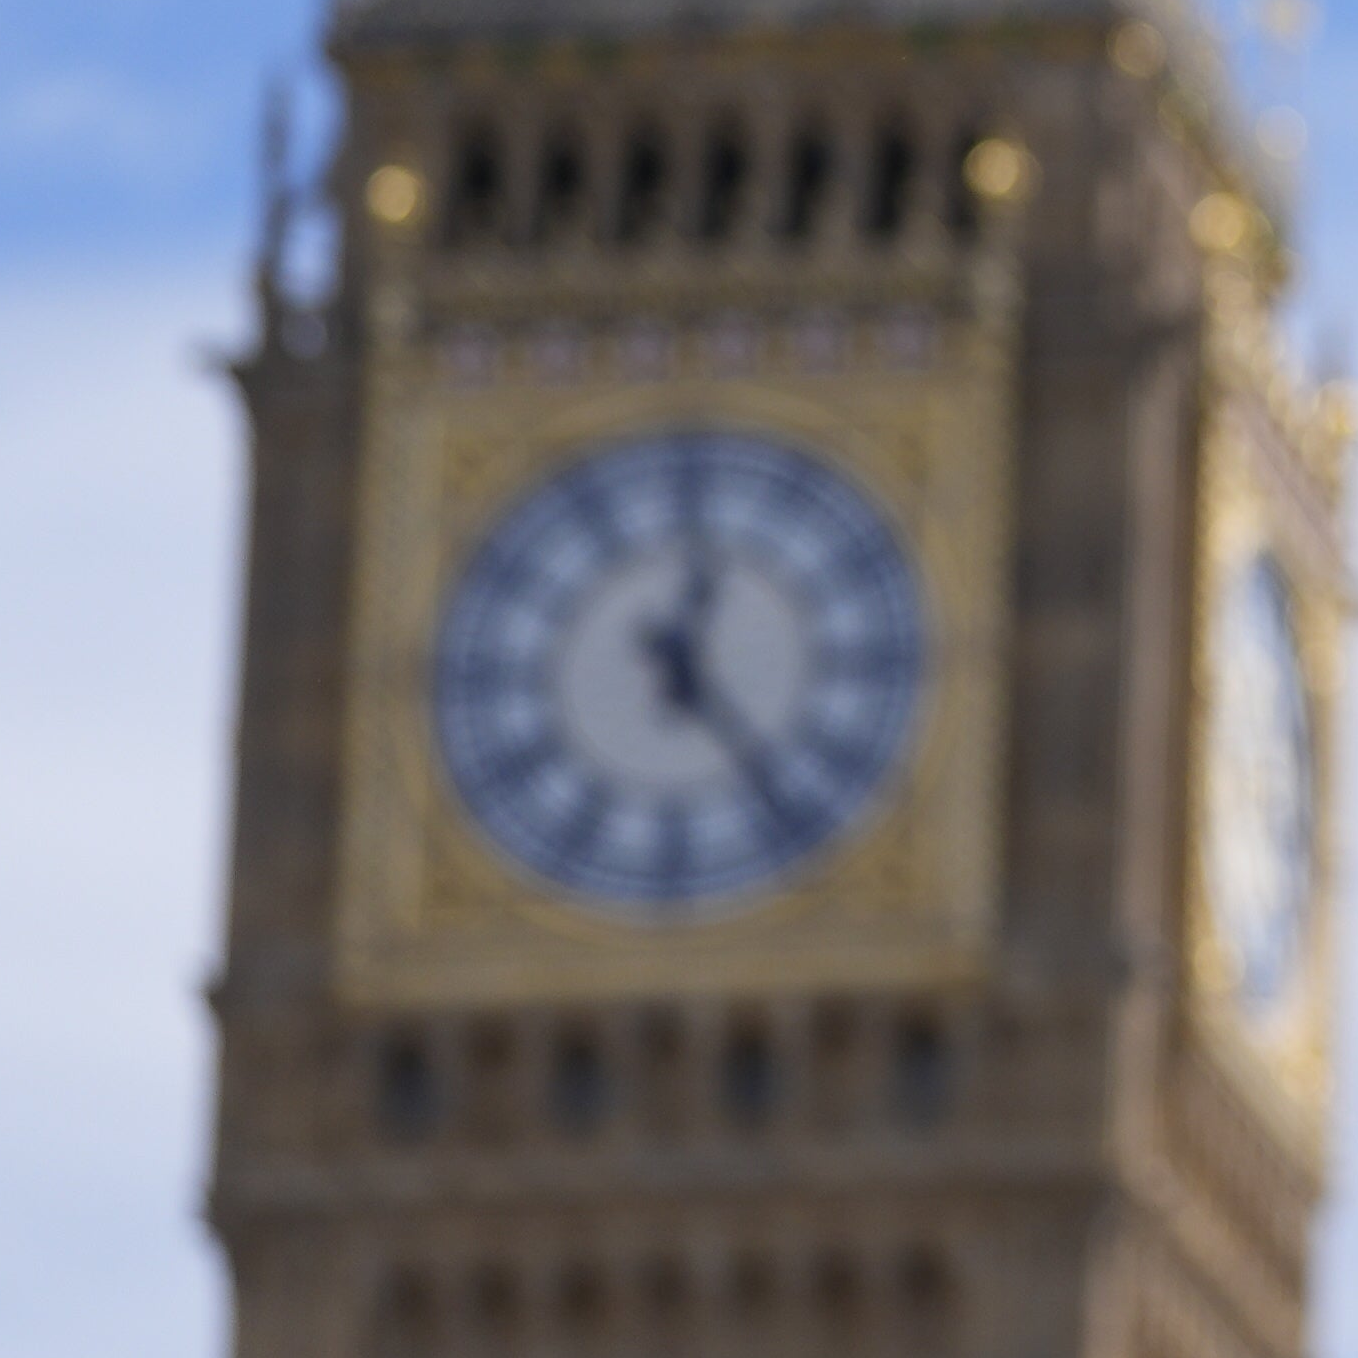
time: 12:23
